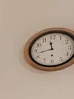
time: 11:42
